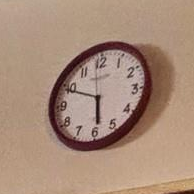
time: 5:49
